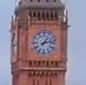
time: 1:12
